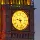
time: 9:27
